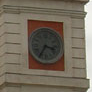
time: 3:35
